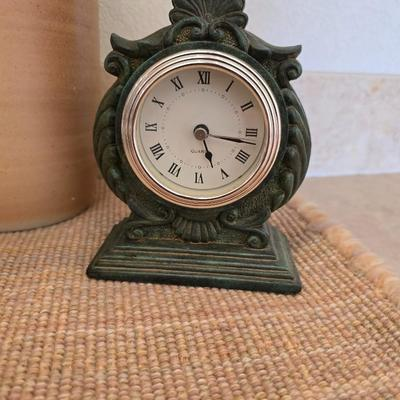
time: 5:16
